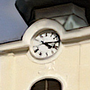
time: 4:14
